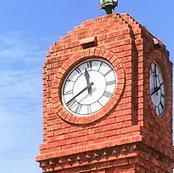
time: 11:40
